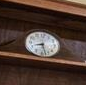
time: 8:27
